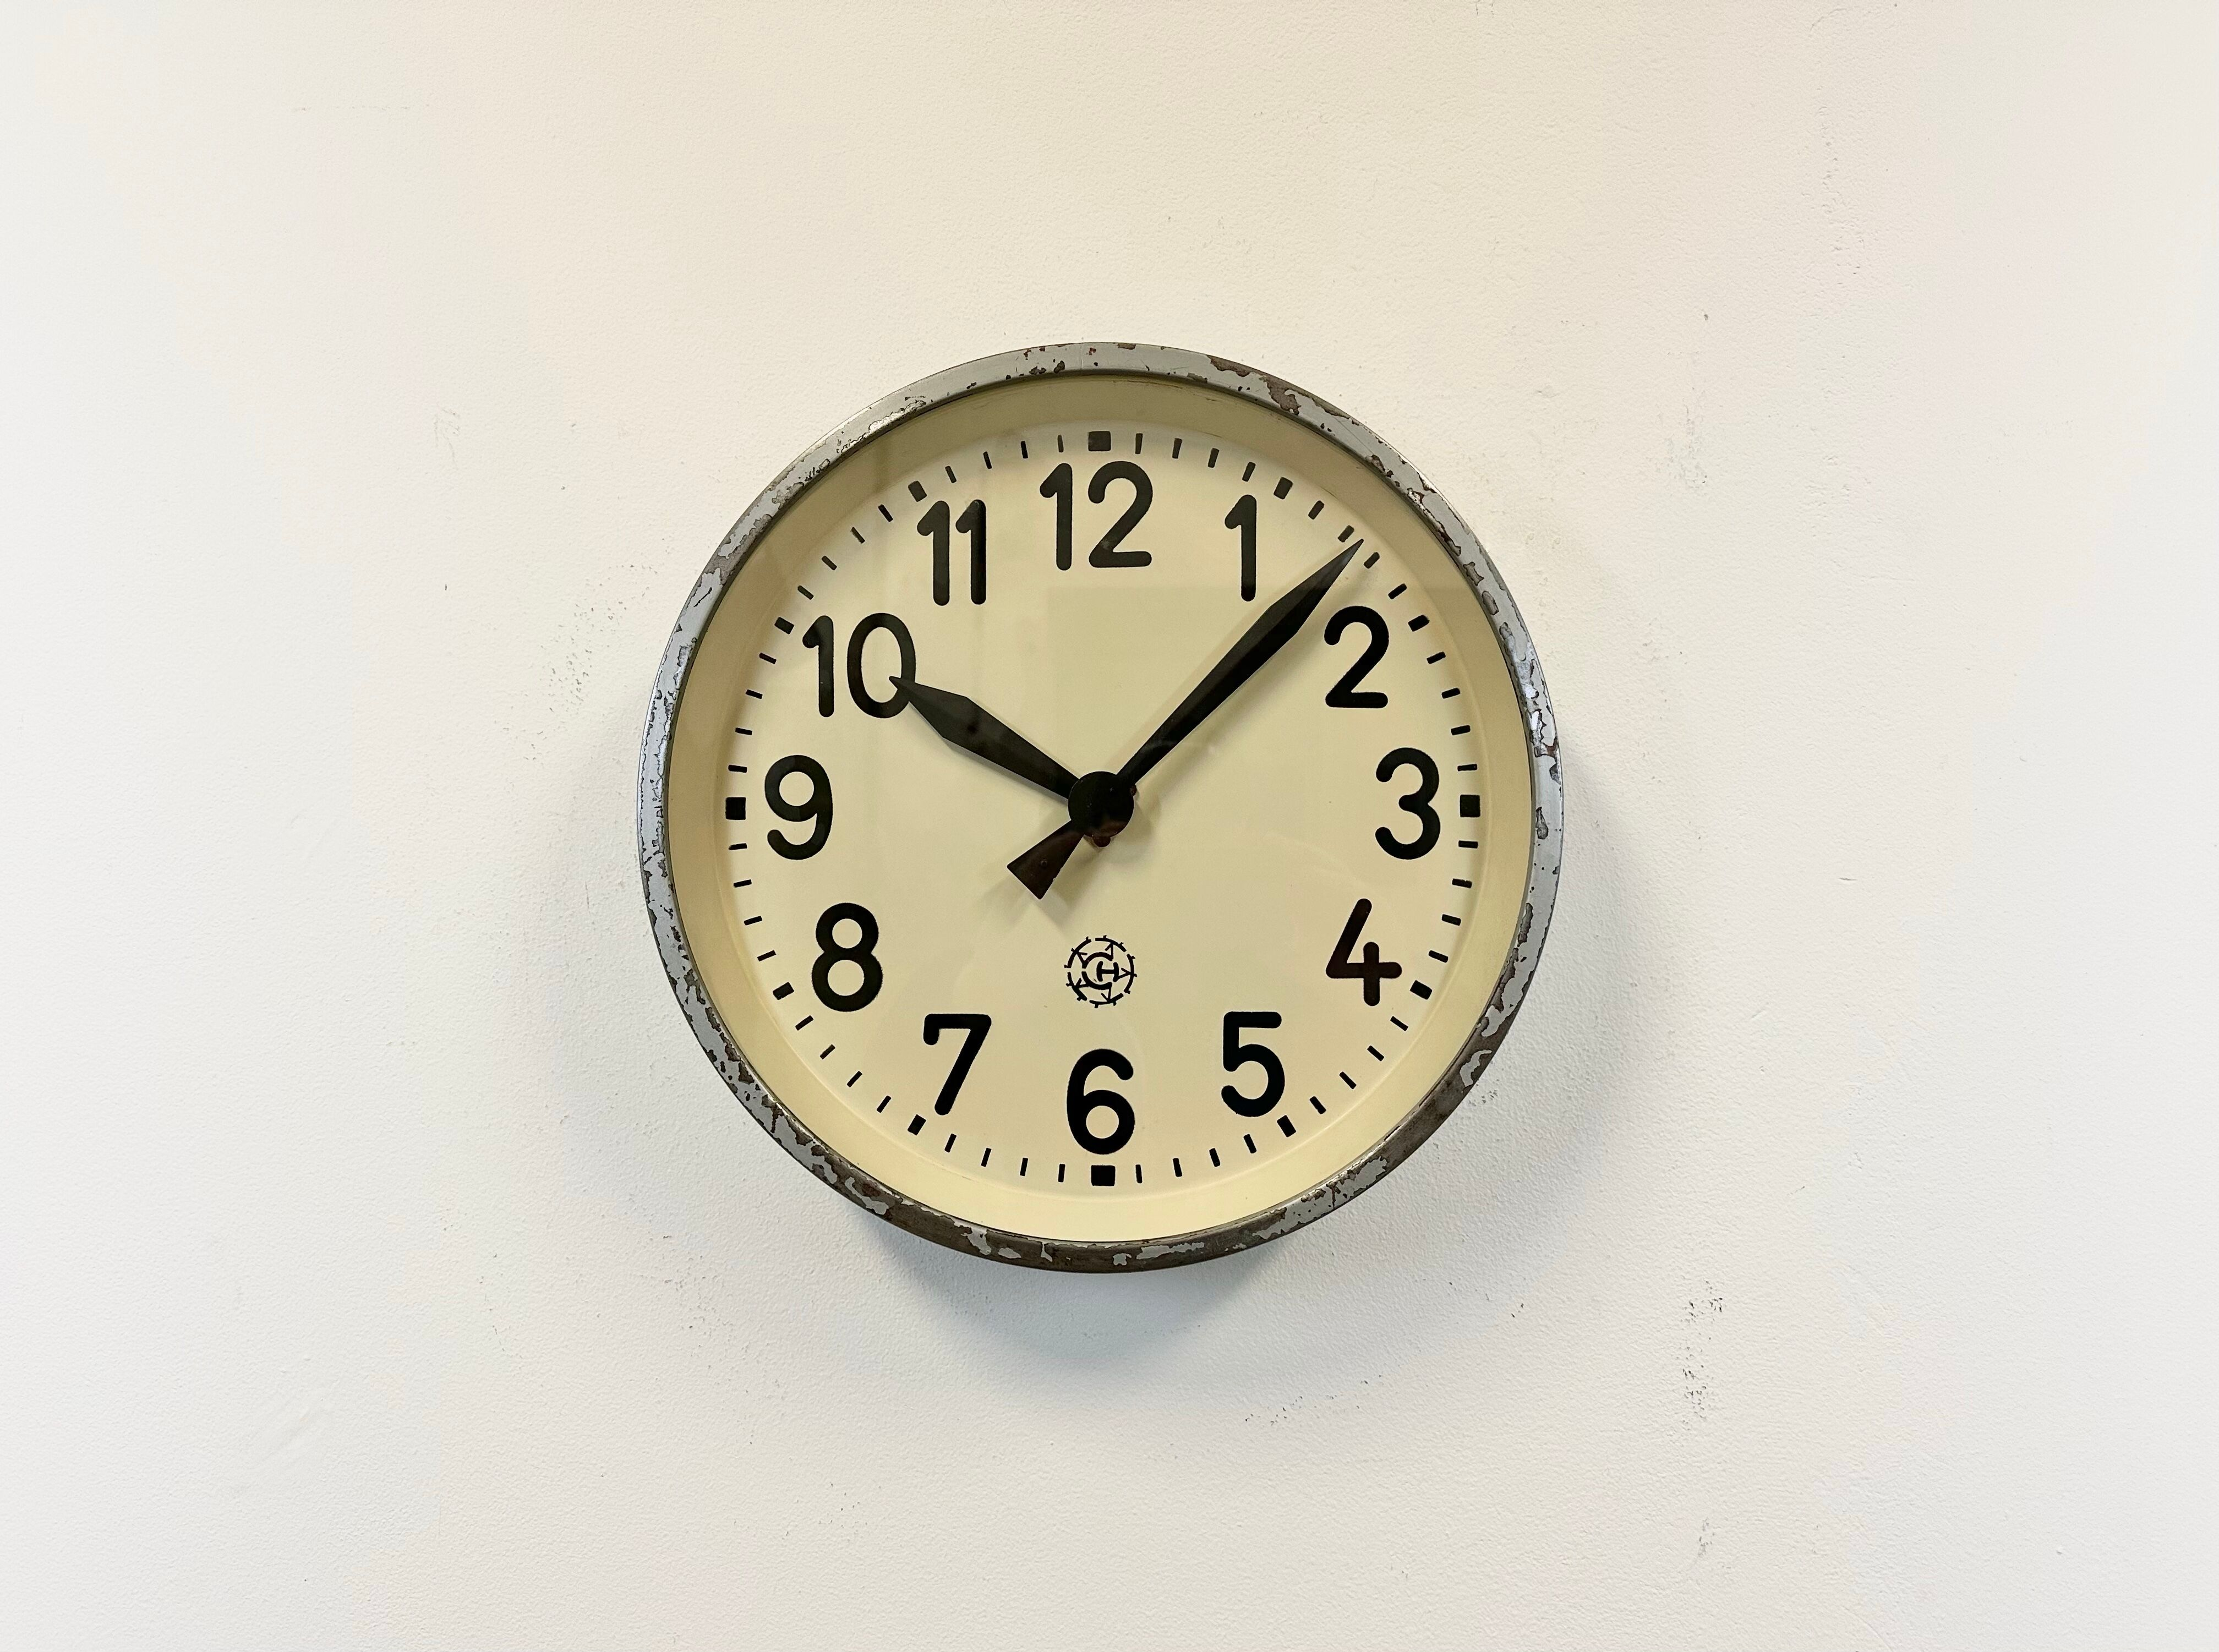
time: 10:07
